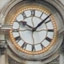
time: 10:07
